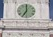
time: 7:00
